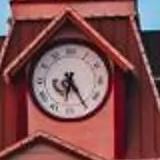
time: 6:24
